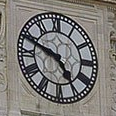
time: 4:48
